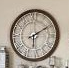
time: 6:10
